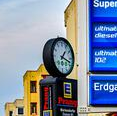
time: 1:18
